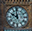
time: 9:58
